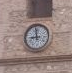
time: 8:58
